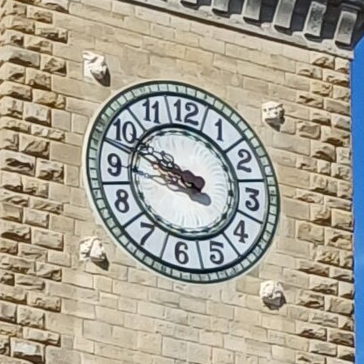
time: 9:48
